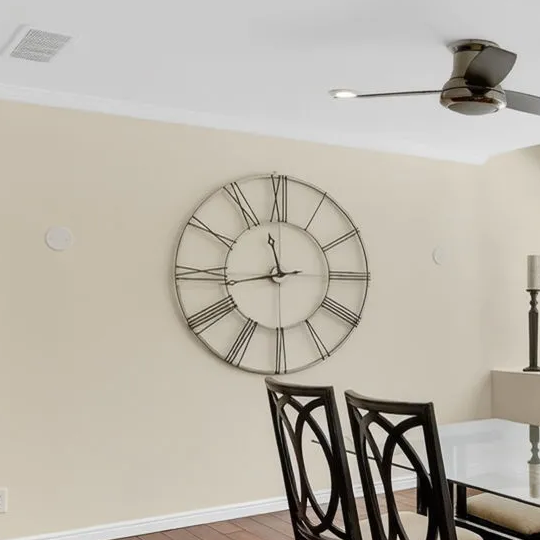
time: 11:43
